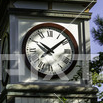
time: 10:08
